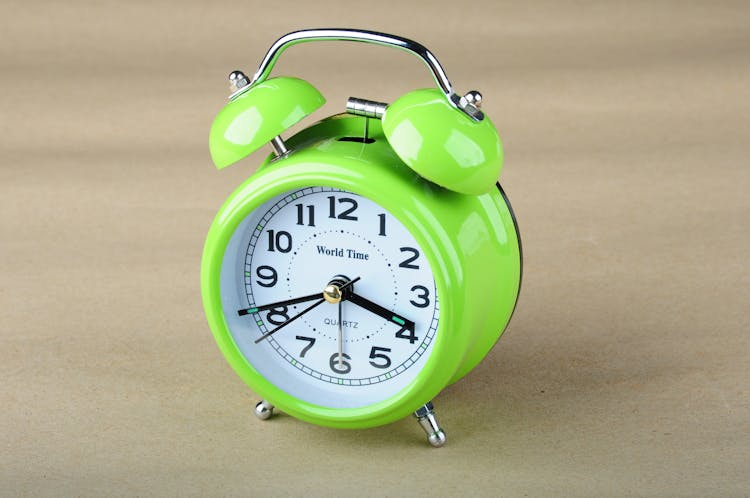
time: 3:41
